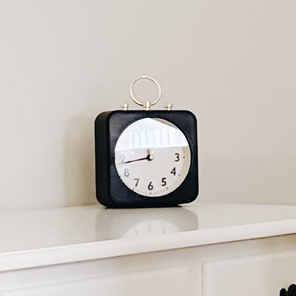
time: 11:43
